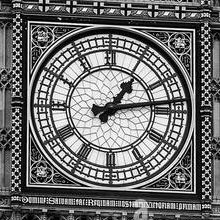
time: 1:13
